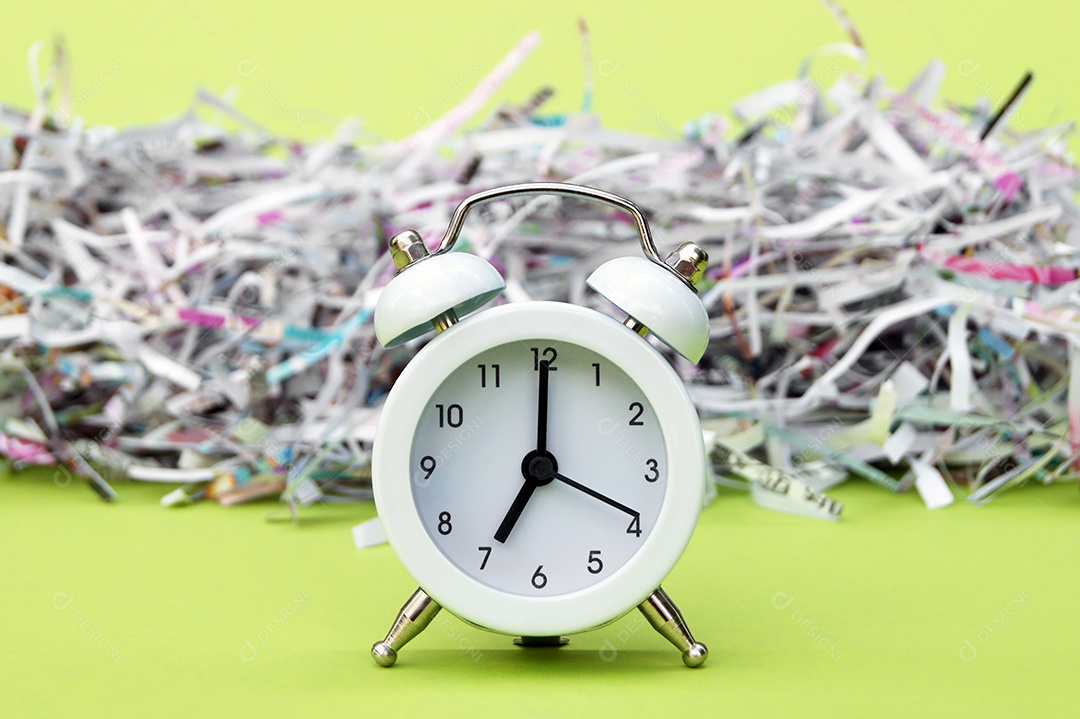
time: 7:00
